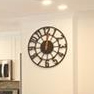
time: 7:01
